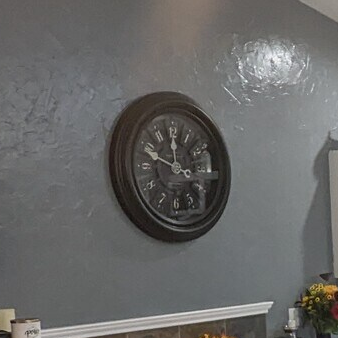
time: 11:48
